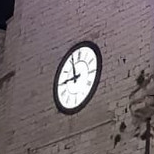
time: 8:56
